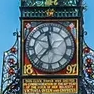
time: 11:37
